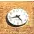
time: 4:42
